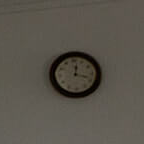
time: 12:18
